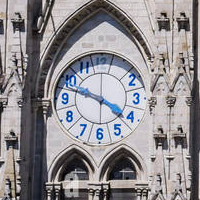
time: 3:47
